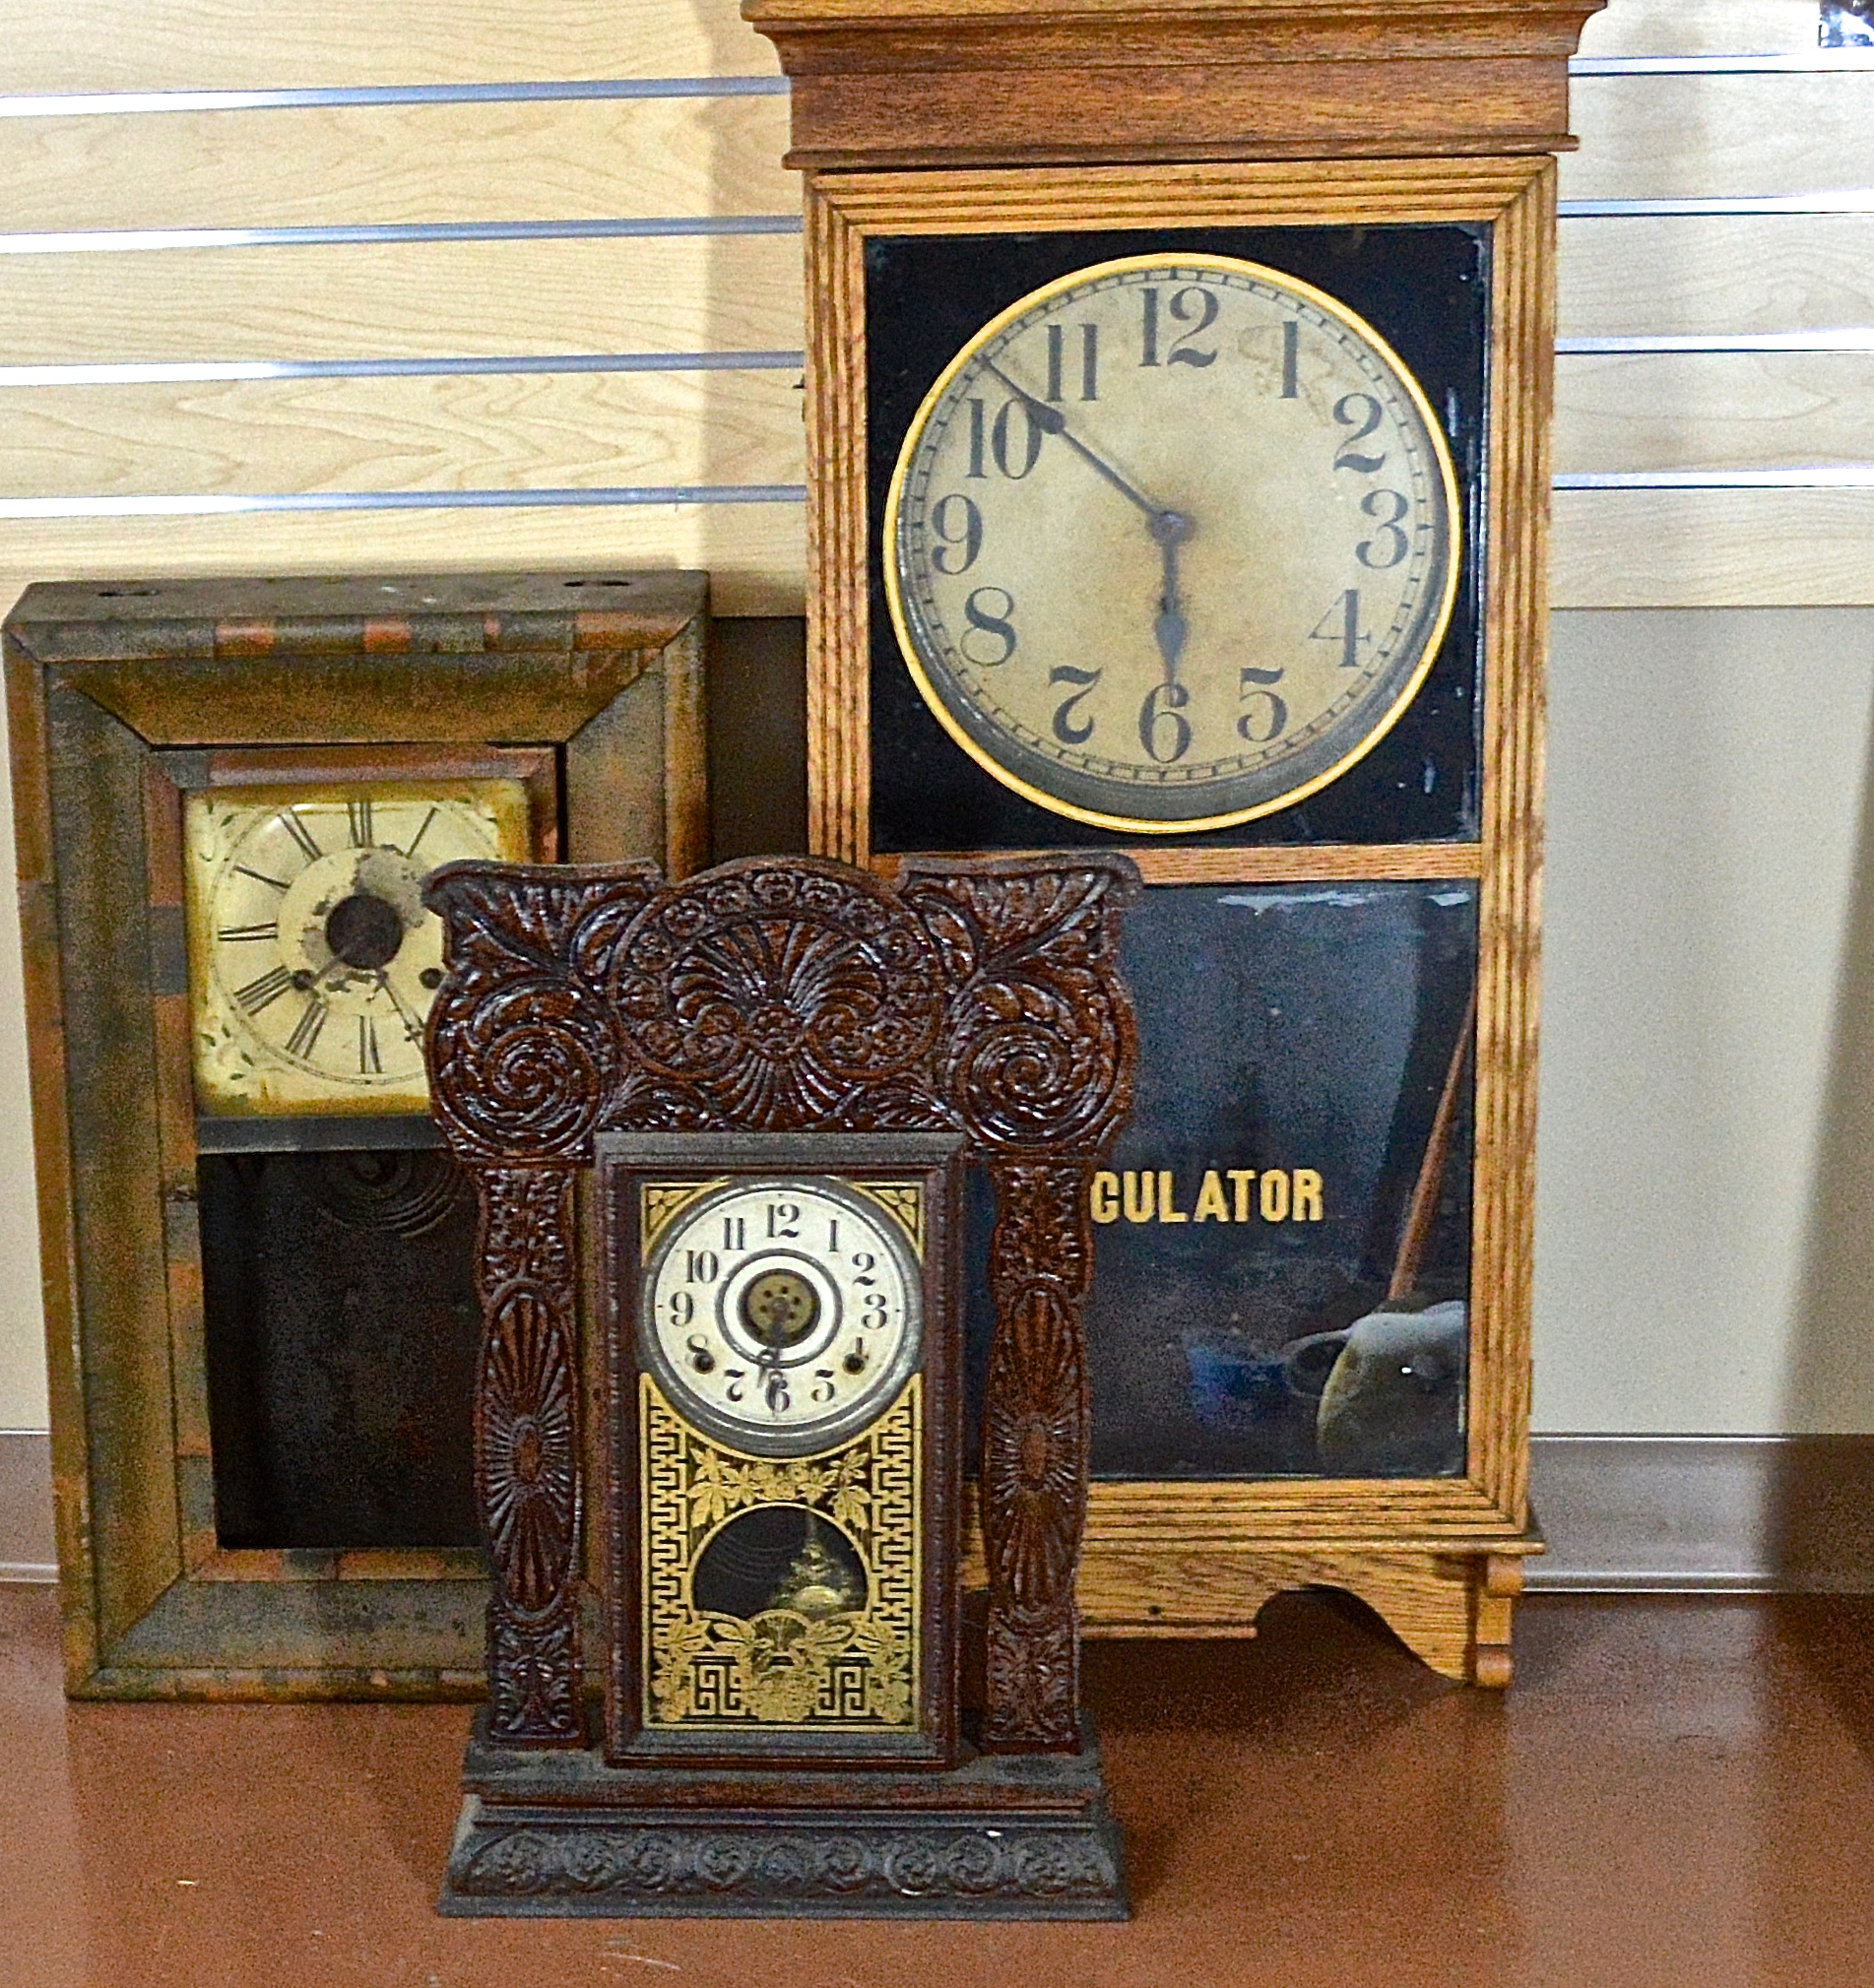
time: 5:51
